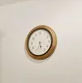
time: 5:34
